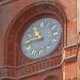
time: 10:43
